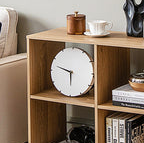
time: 5:47
